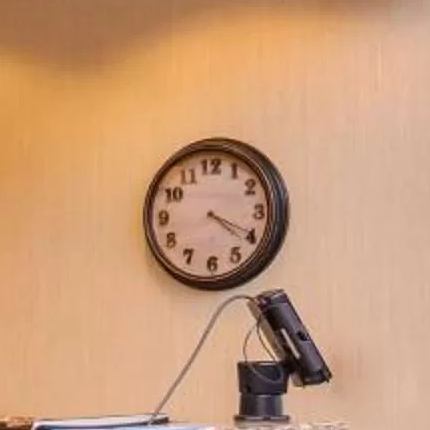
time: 4:19
